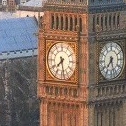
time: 7:28
